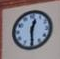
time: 12:29
